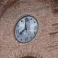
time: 7:59
